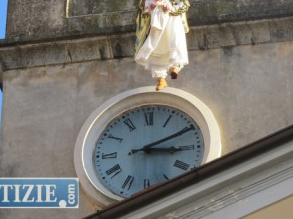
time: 3:10
